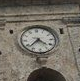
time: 4:37
